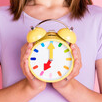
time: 7:00
